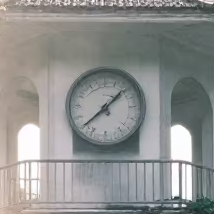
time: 1:38
